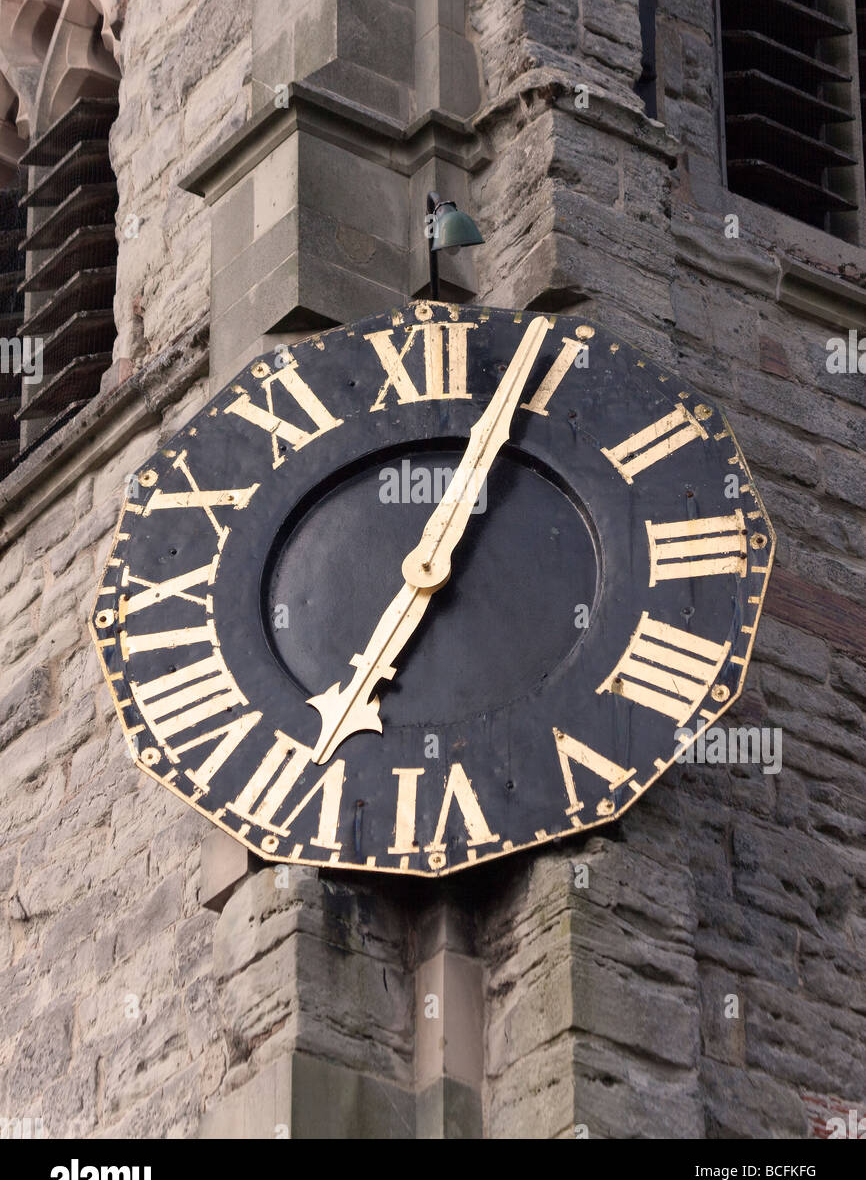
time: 7:04
